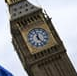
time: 11:21
